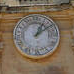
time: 1:09
